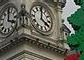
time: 4:00
